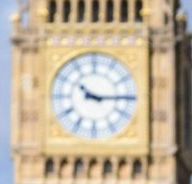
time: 10:14
